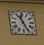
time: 11:25
